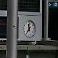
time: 11:35
